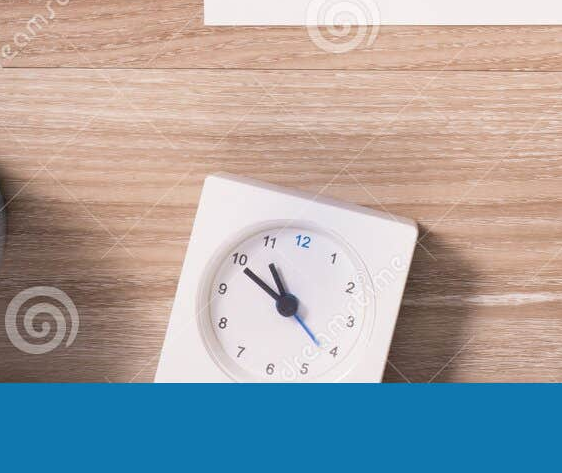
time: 10:49
